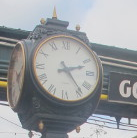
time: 2:23
